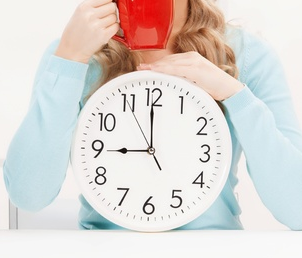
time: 8:59
